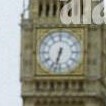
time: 6:32
